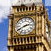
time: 2:40
